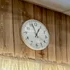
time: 12:57
